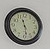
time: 11:28
